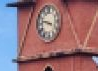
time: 3:47
